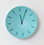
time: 12:04
